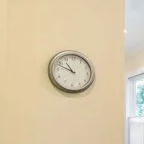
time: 10:48
